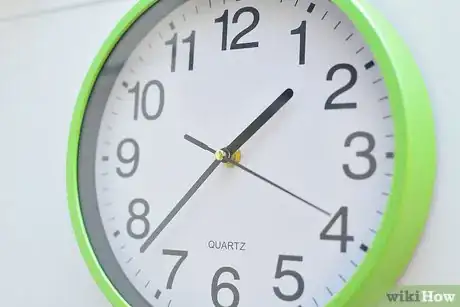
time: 1:37
